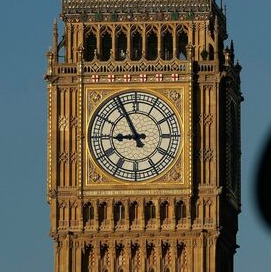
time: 8:54
